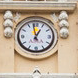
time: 12:58
